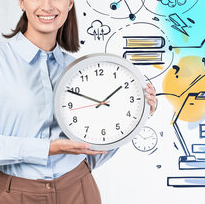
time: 1:49
